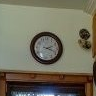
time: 2:18
